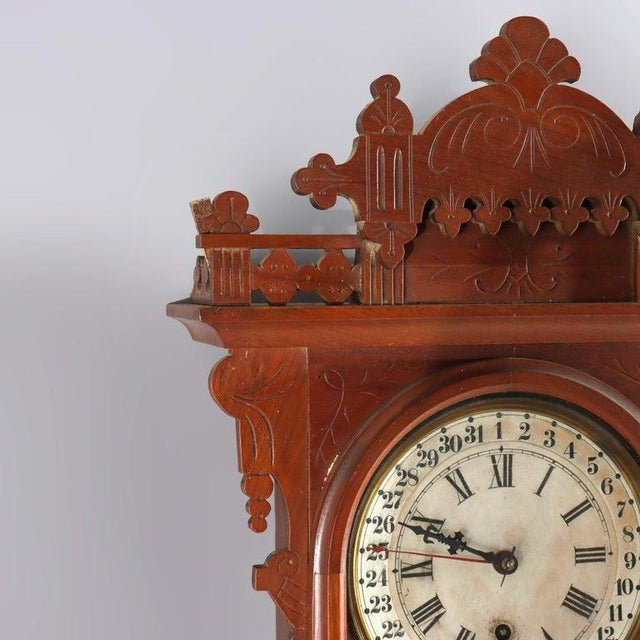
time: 9:48
